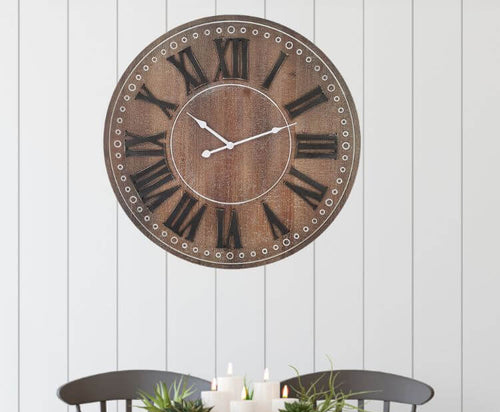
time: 10:11
